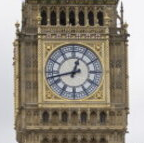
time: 12:42
